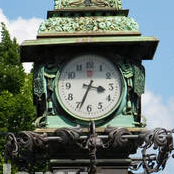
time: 3:33
